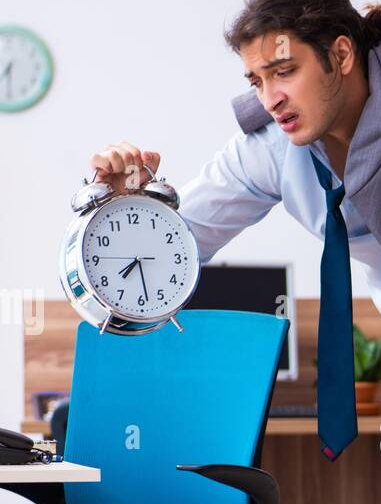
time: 7:28
